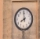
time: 7:59
